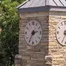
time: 2:35
